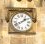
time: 1:41
